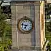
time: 6:47
